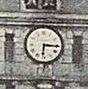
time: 6:15
